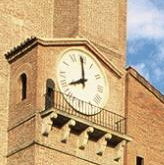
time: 7:59
